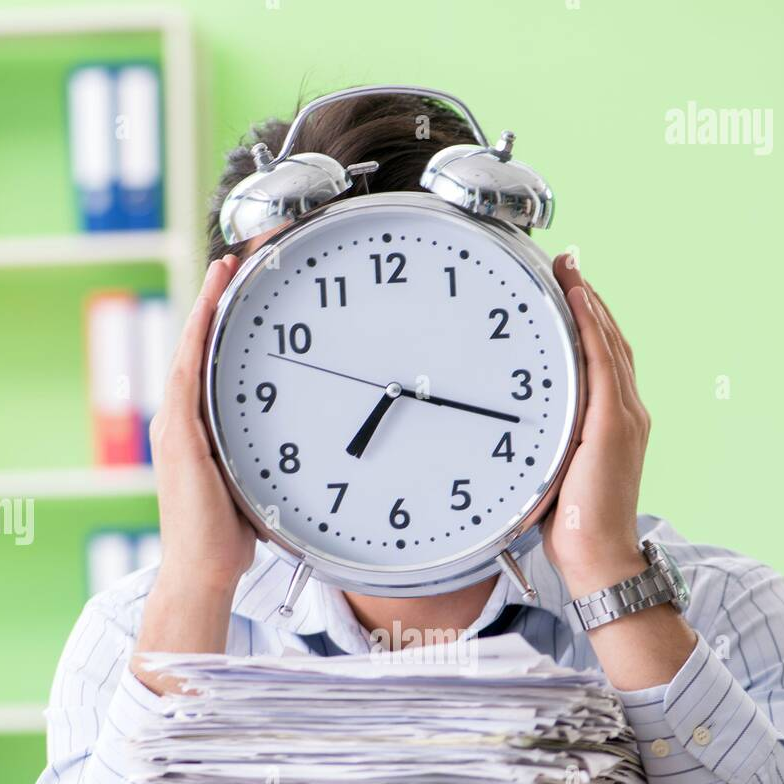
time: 7:17
